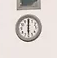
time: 6:00
